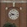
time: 9:42
